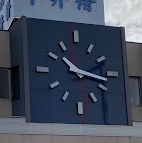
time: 10:17
